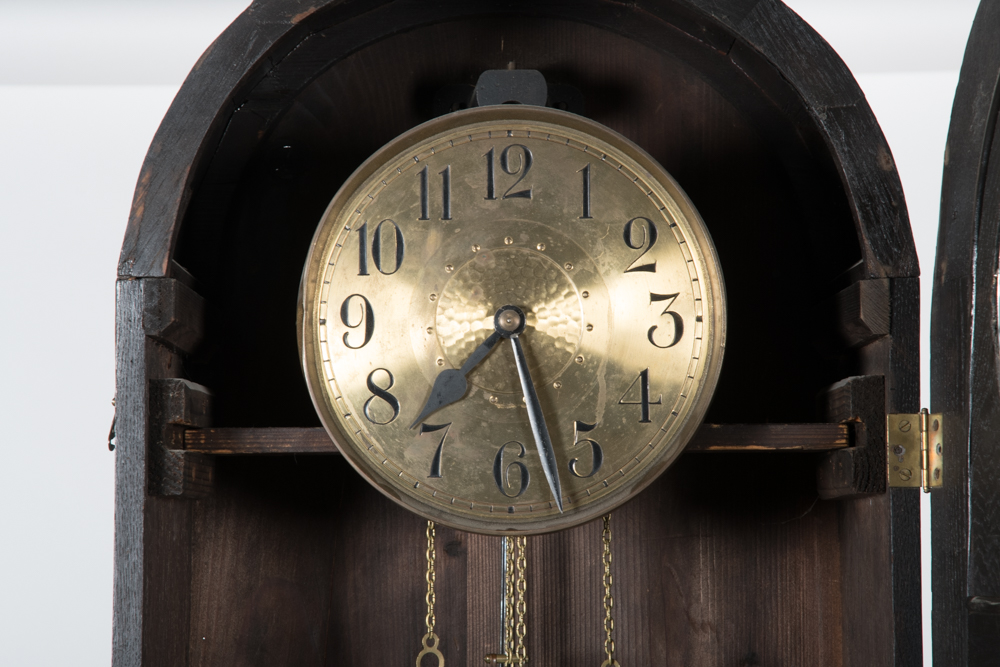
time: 7:27
